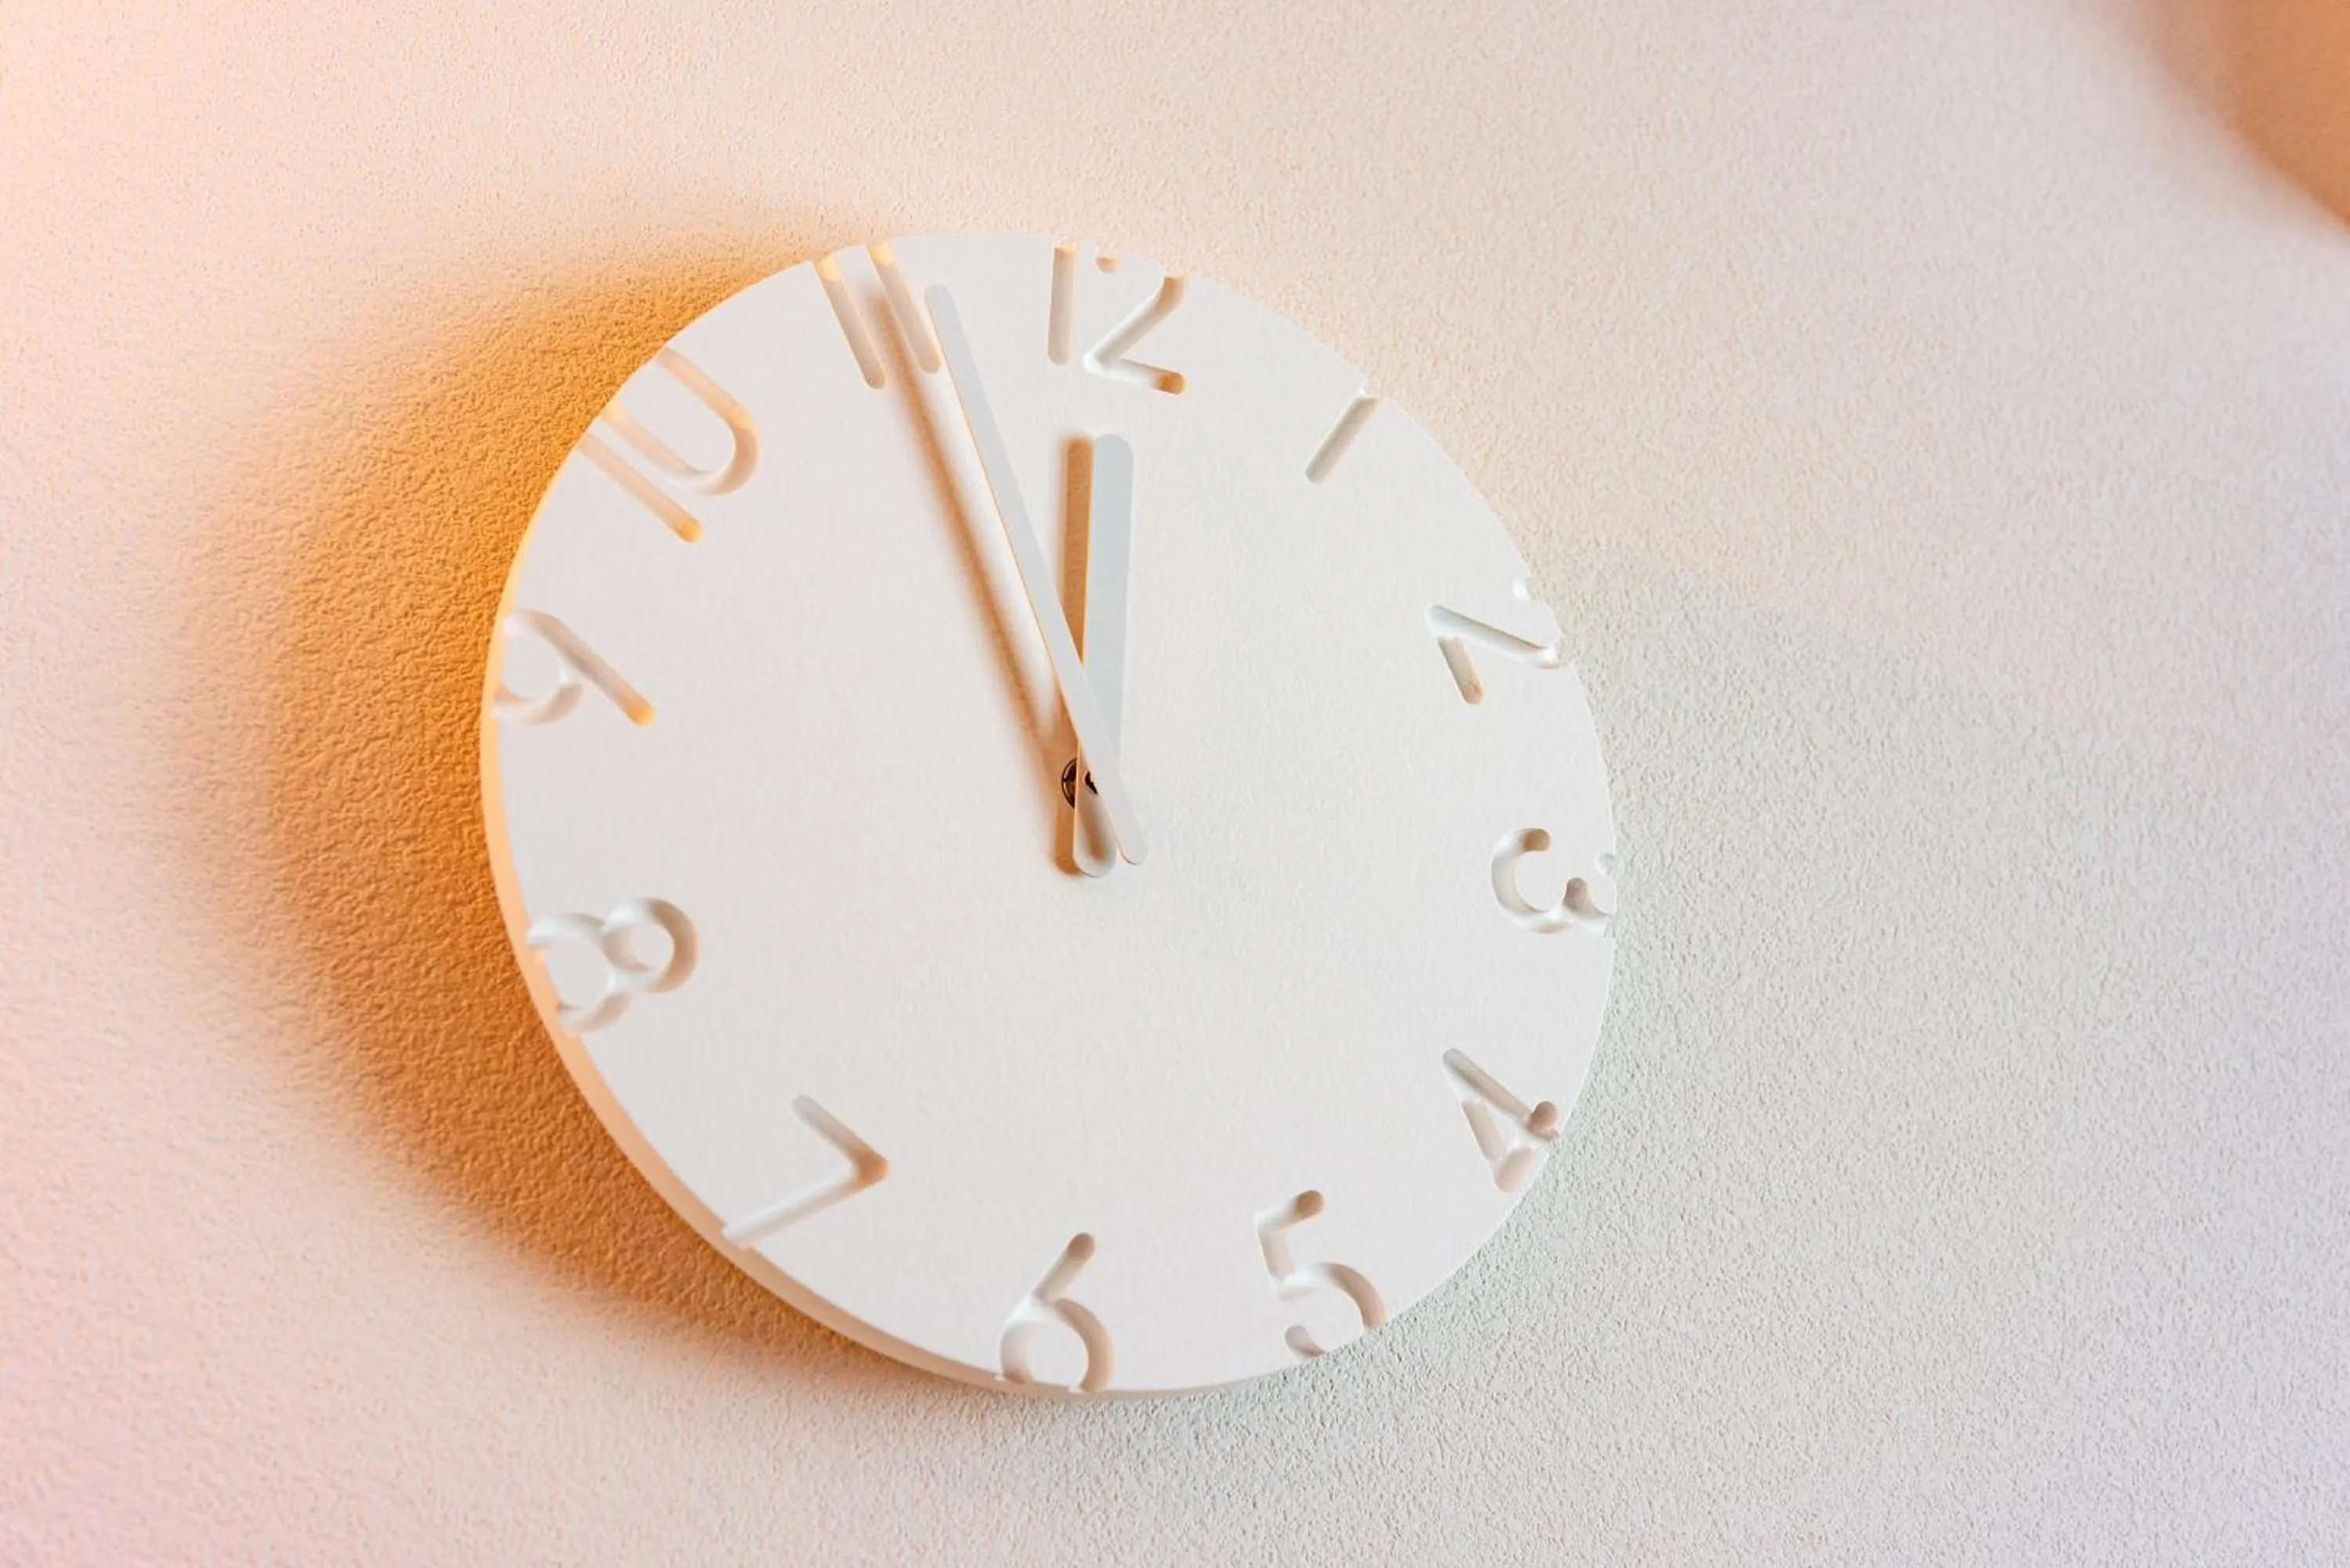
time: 11:55
